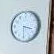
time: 3:29
